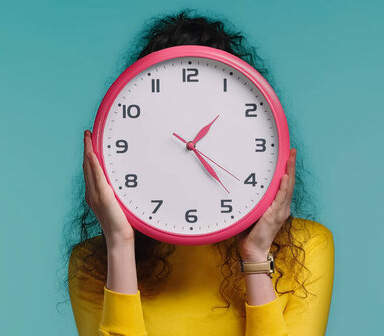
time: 1:23
